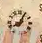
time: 8:04
